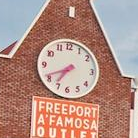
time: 7:41
